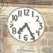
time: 7:25
